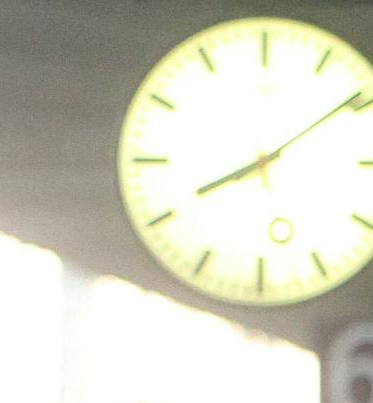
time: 8:09
